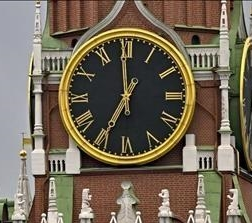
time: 6:59
